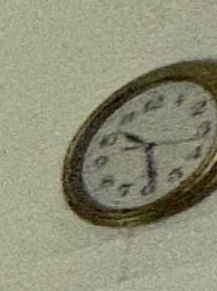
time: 10:29
